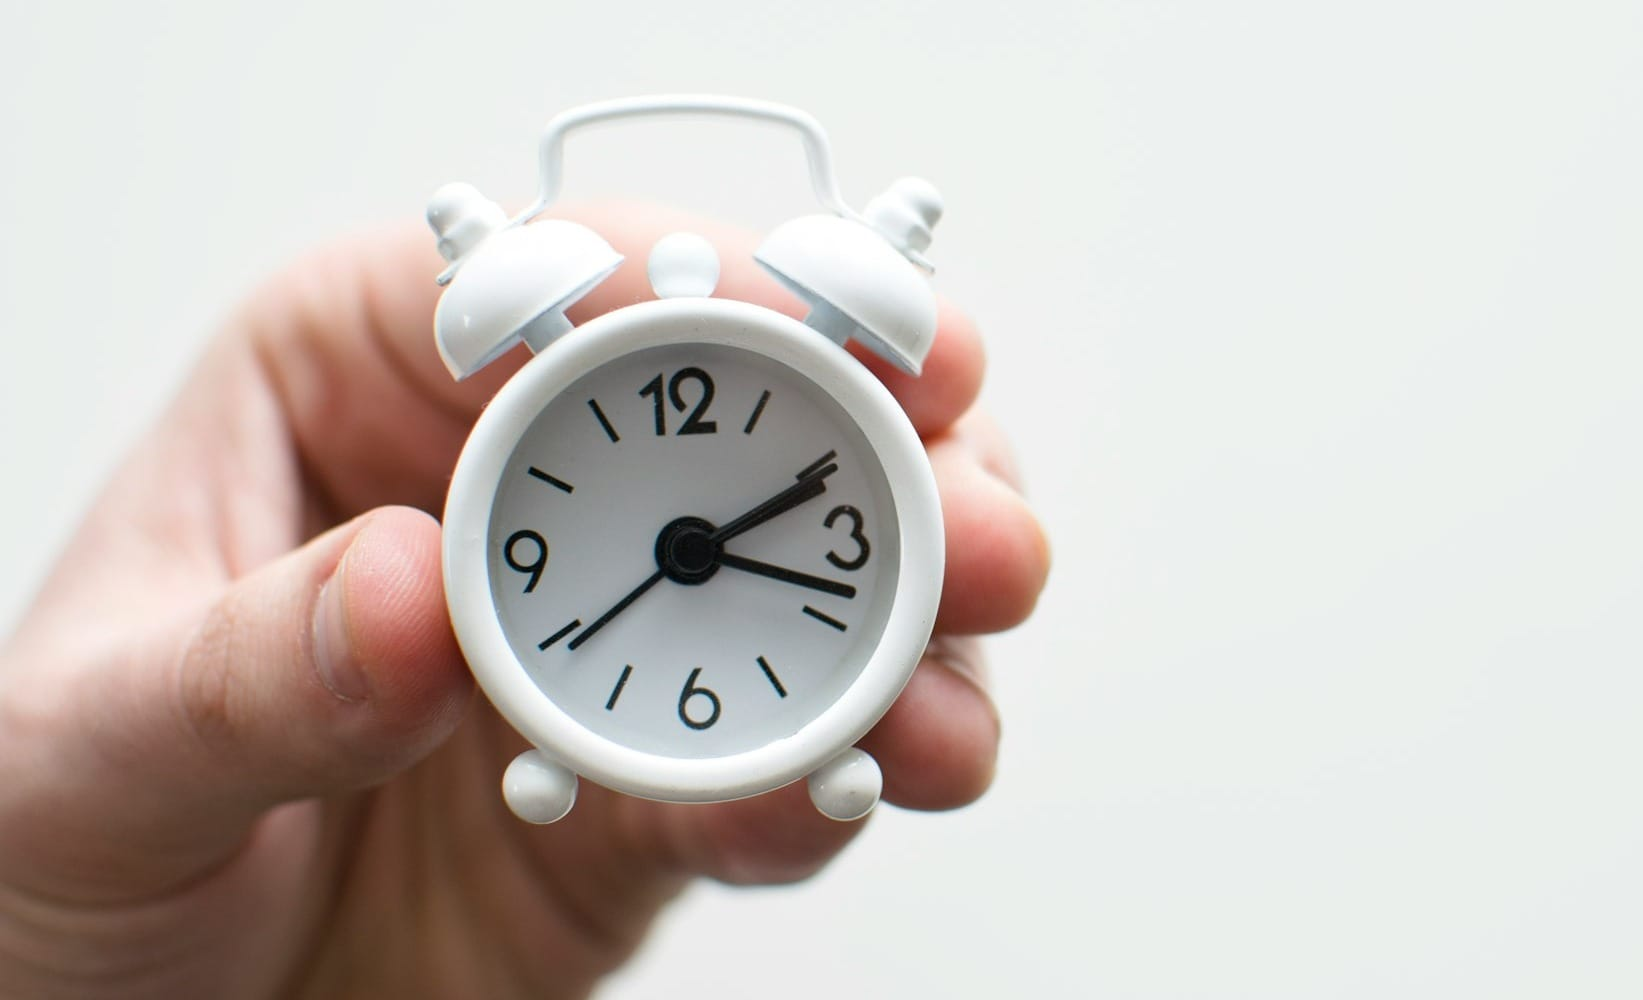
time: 2:18
